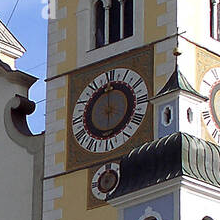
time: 5:59
